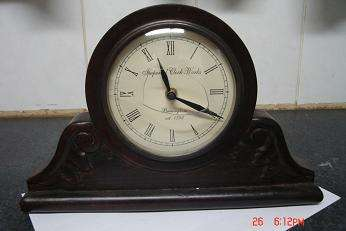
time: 11:19
